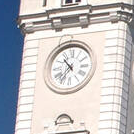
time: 10:36
